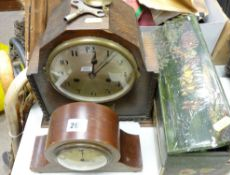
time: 12:01
